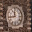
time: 11:43
